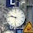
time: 9:32
